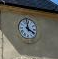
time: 3:58
